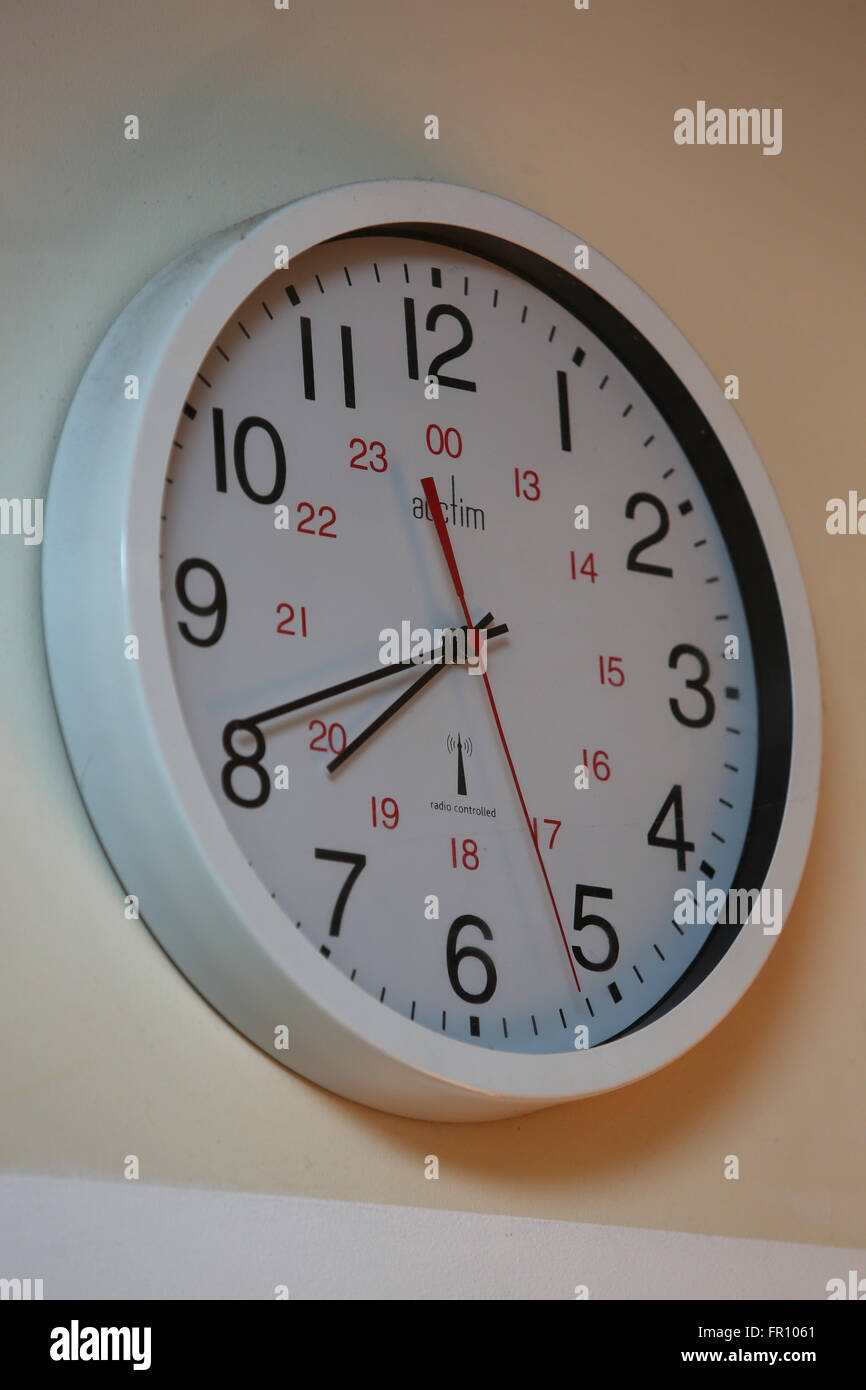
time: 7:41
